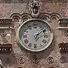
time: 6:08
